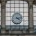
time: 4:12
